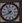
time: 7:55
